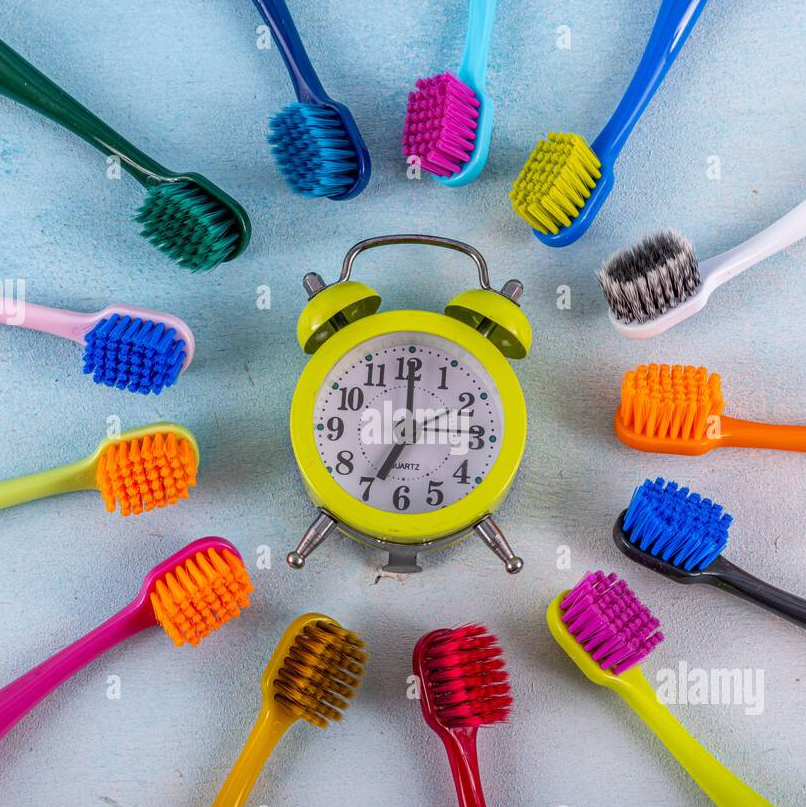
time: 7:00
